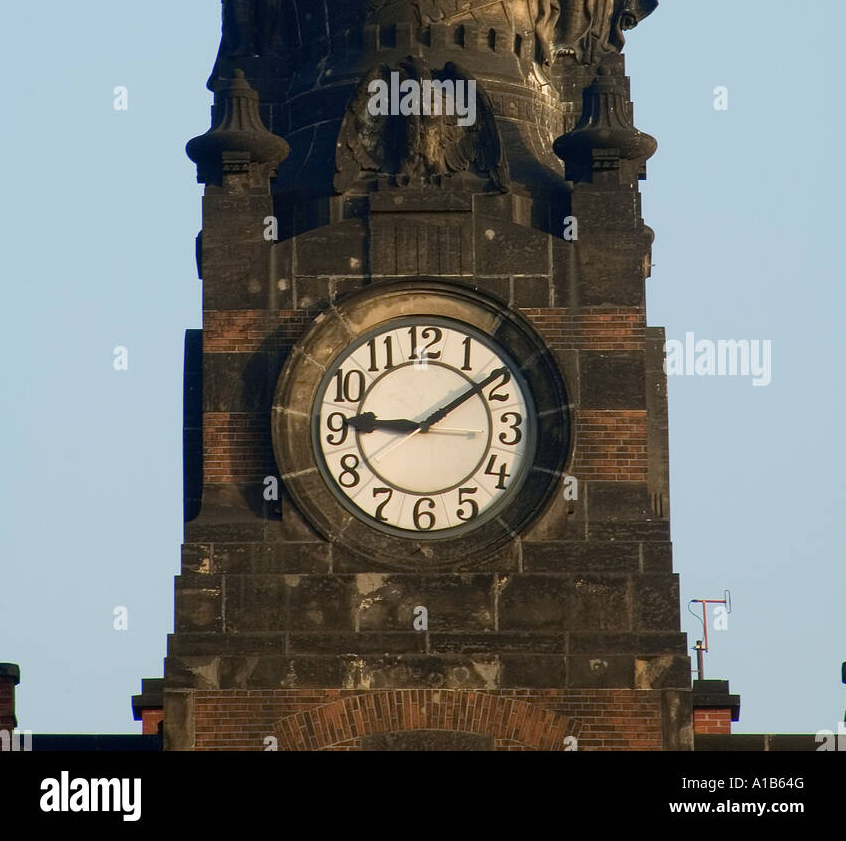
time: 9:09
